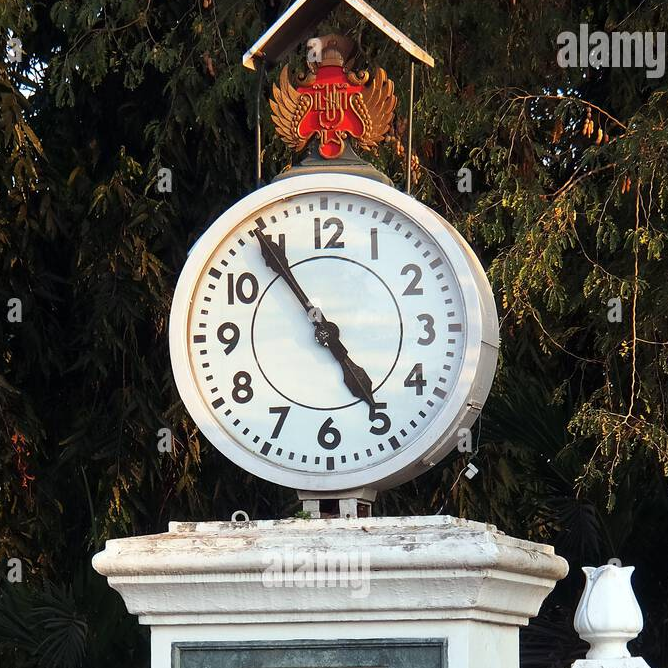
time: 4:54
